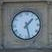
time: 1:27
